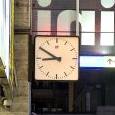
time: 8:50
